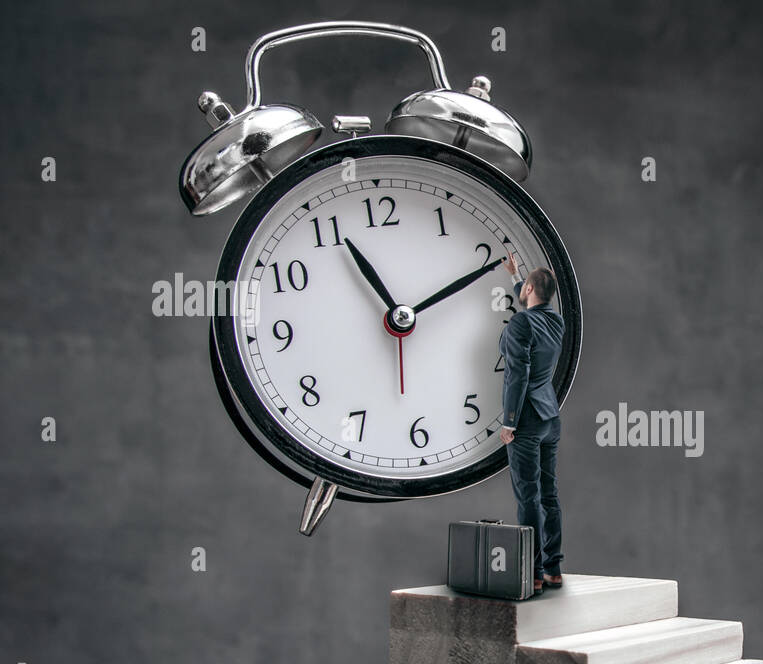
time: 11:11
